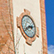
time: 2:40
